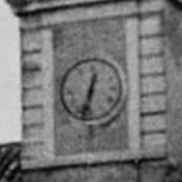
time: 12:32
